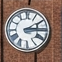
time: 2:14
